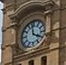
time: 3:58
